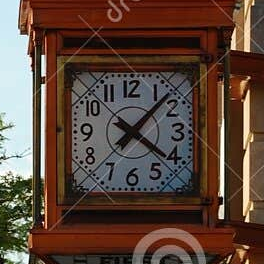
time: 4:07
